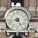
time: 4:42
